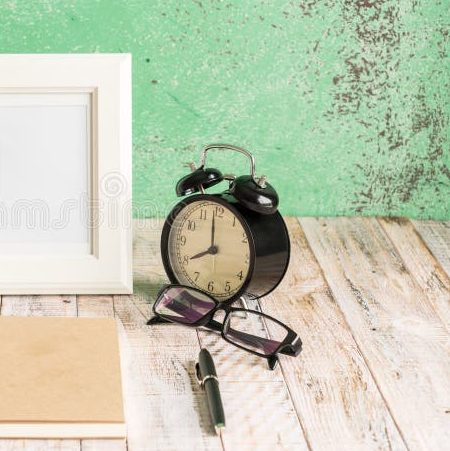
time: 7:59
